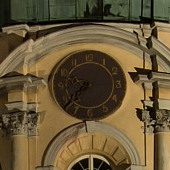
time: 9:38
